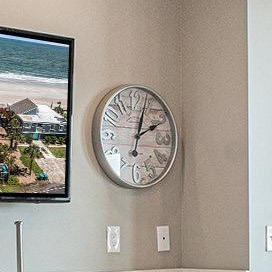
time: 2:03
